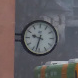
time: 9:32
